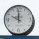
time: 9:59
